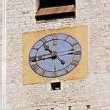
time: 10:43
